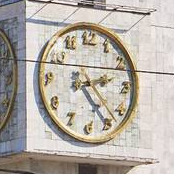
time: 2:24
